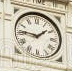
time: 1:46
